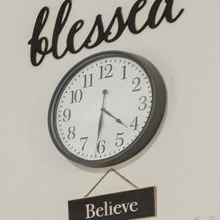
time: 6:21
